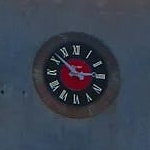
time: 2:52
